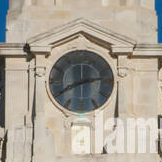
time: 2:40
